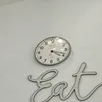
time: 4:18
